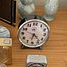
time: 6:23
